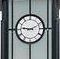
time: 9:11
